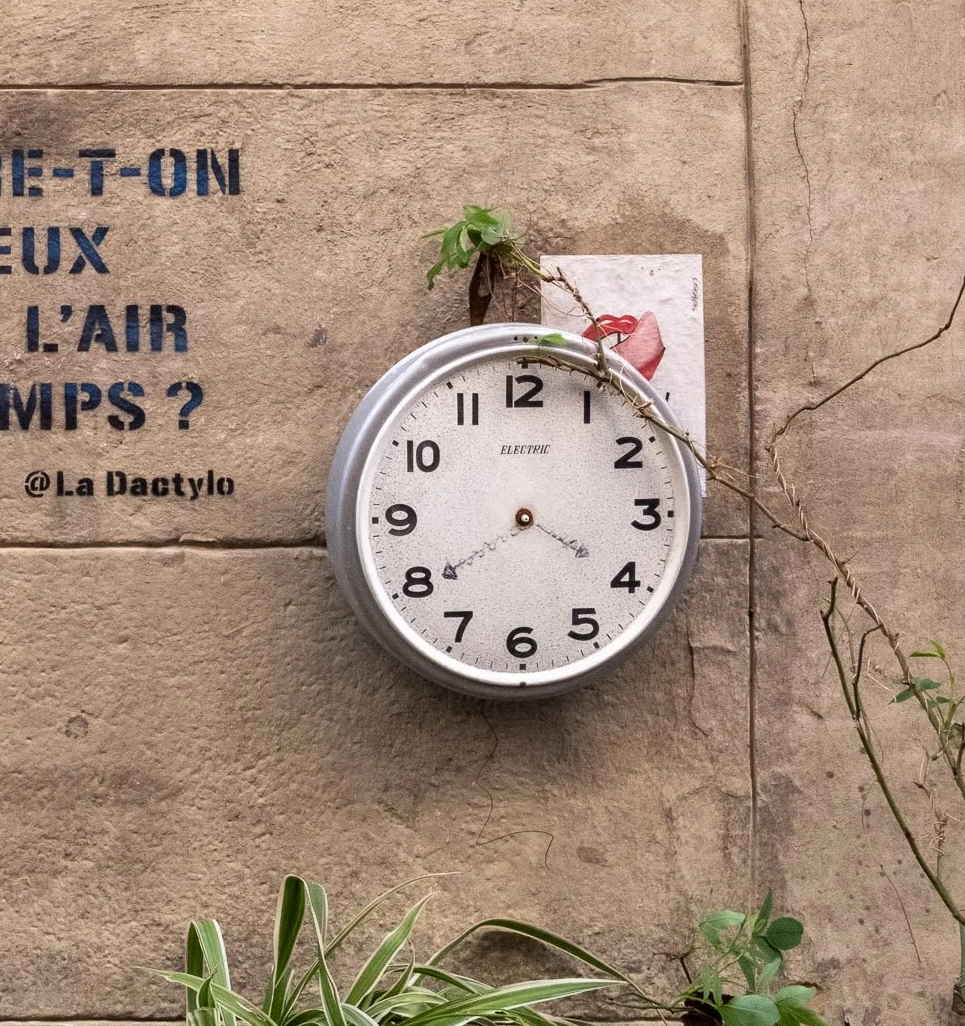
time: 3:39
